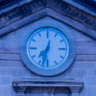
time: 7:32
